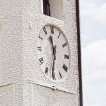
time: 11:31
